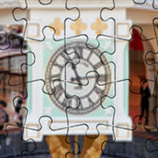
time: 11:13
